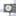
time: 8:27
